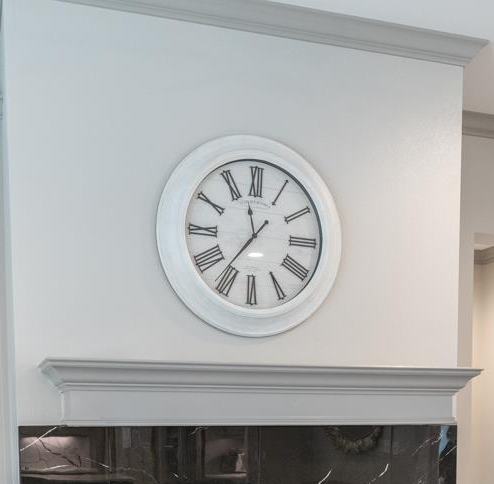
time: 11:36
